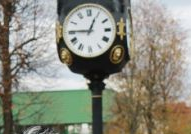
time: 12:45
